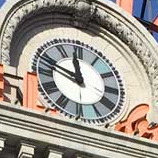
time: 11:48
